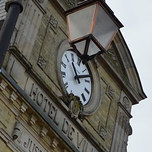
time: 11:12
